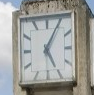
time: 5:05
